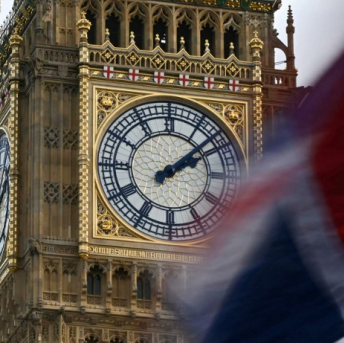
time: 2:08
